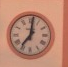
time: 7:01
